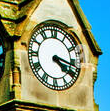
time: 4:17
